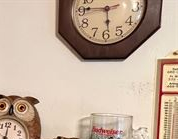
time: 5:45
